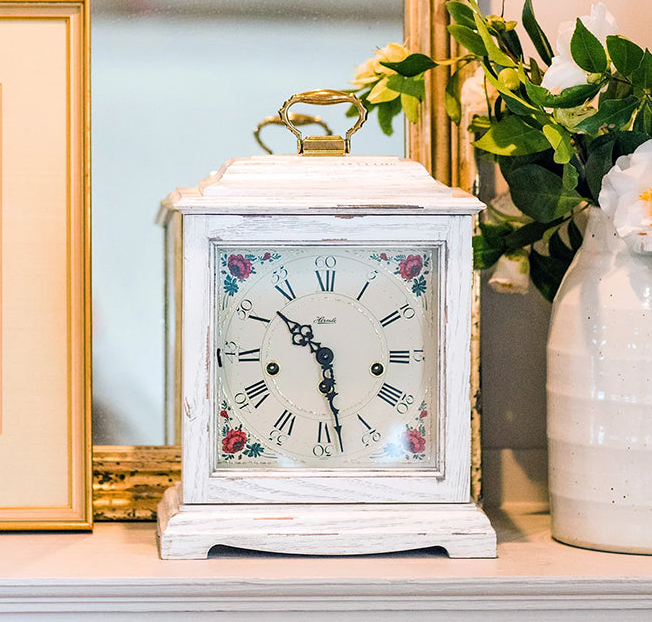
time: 10:28
